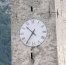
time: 10:35
